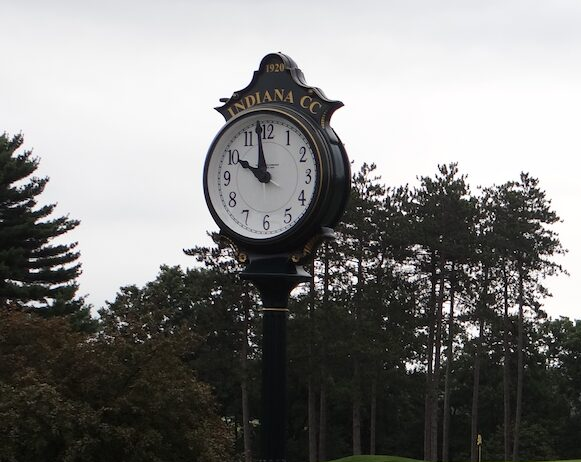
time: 9:58
